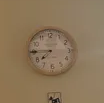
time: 7:45
